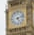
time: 5:12
